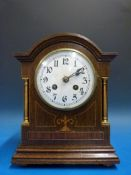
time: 2:09
